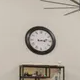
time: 3:12
